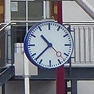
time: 10:37
